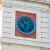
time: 10:33
